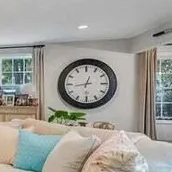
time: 12:43
